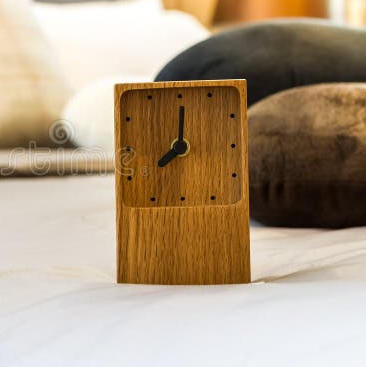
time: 8:00
